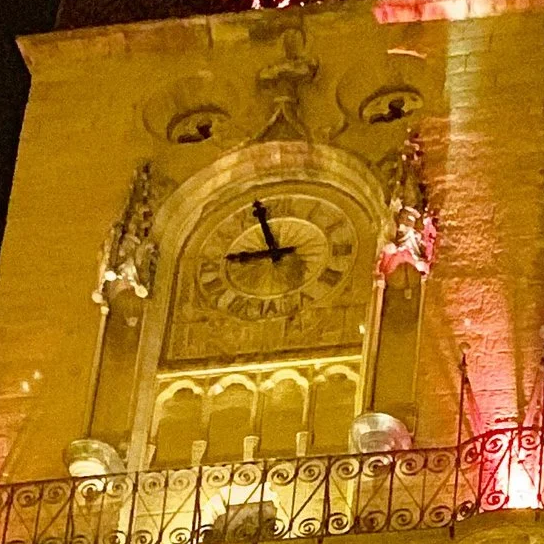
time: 8:56
